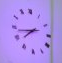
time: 7:43
